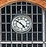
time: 4:50
